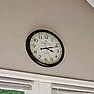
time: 3:11
